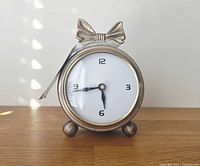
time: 5:43
